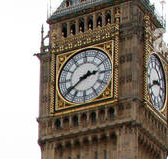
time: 2:39
